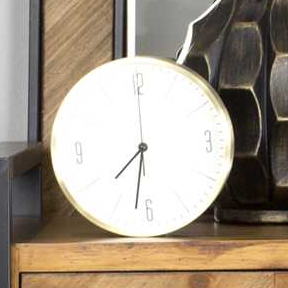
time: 7:32
